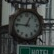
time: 12:46
